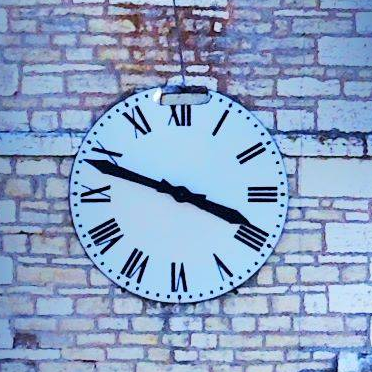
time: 3:48
